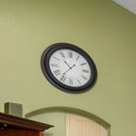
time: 10:36
